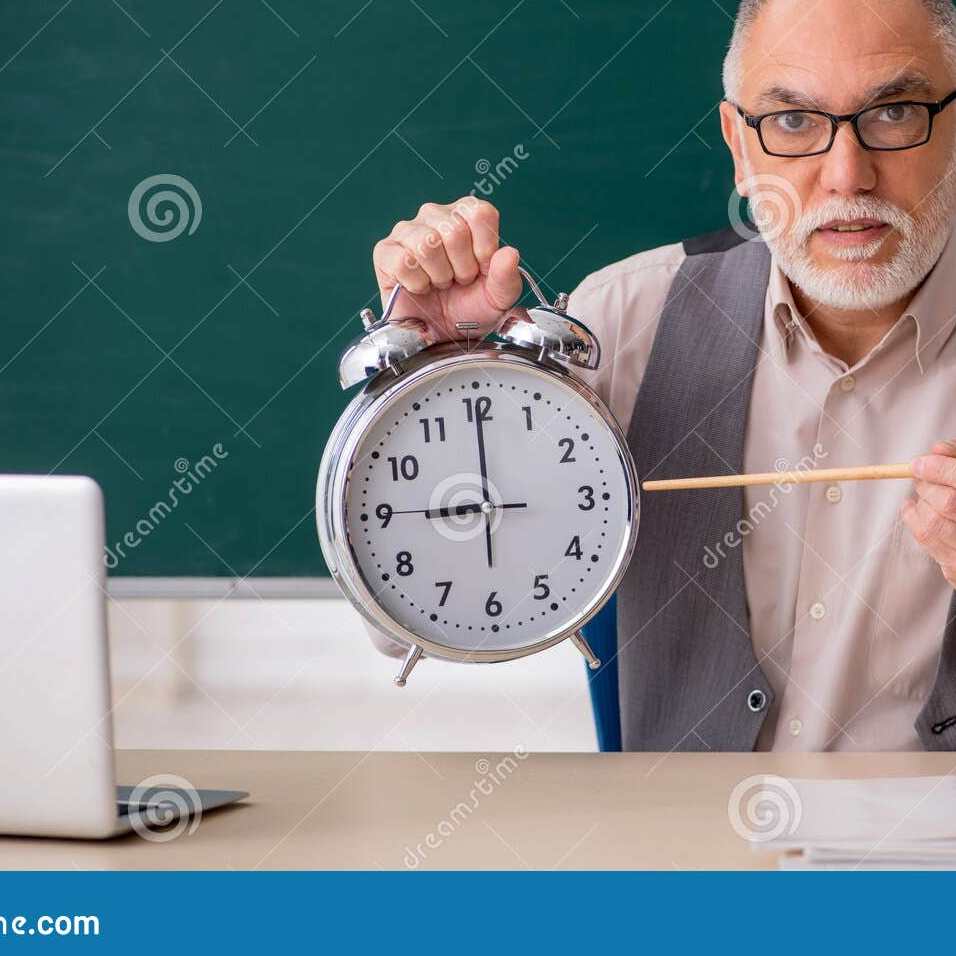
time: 9:00
